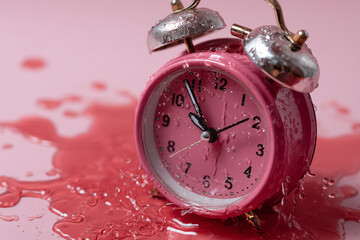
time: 9:53
